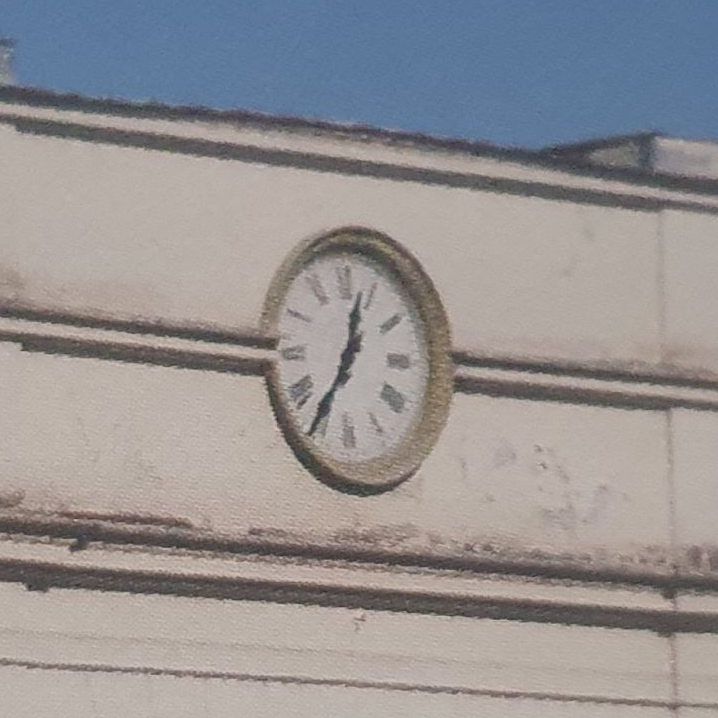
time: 12:35
